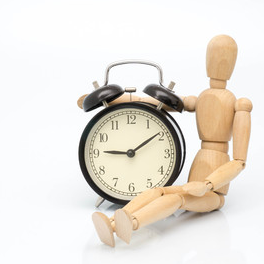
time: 9:09
